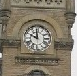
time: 9:59
